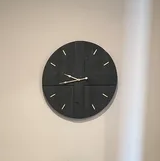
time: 9:43
